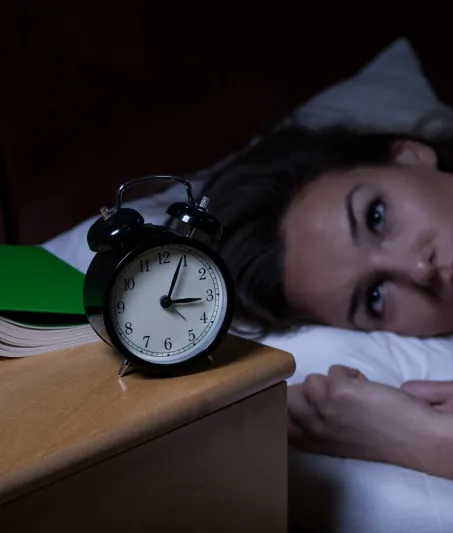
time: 3:04
